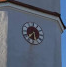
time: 7:30
